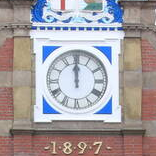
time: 12:00
